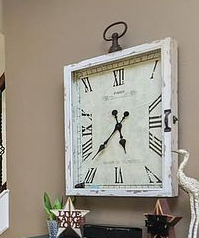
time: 5:37
